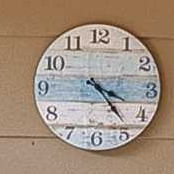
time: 4:23
